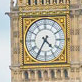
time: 4:35
